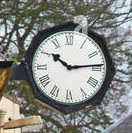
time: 10:13
